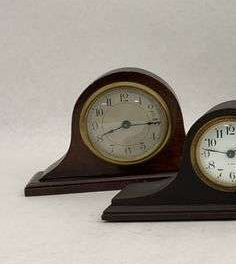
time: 8:15
